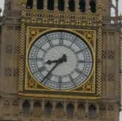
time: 8:36
